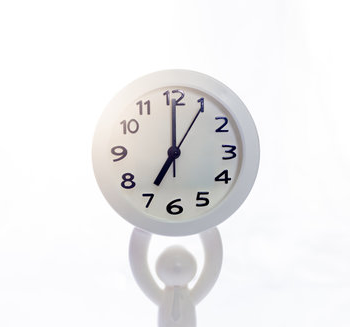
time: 7:00
